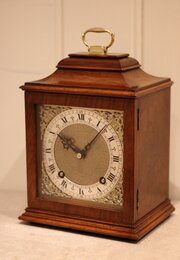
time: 10:07
